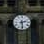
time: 2:29
